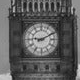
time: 9:10
